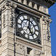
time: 5:01
